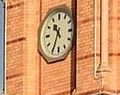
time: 10:34
